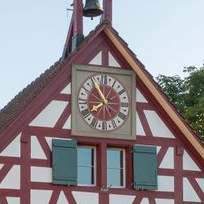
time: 7:55
